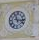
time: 11:16
